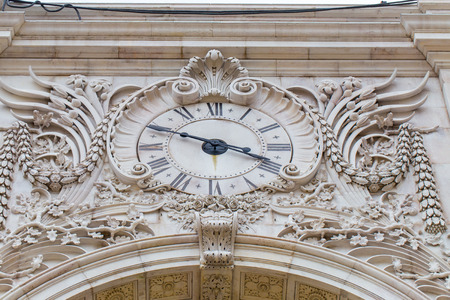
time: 3:48
